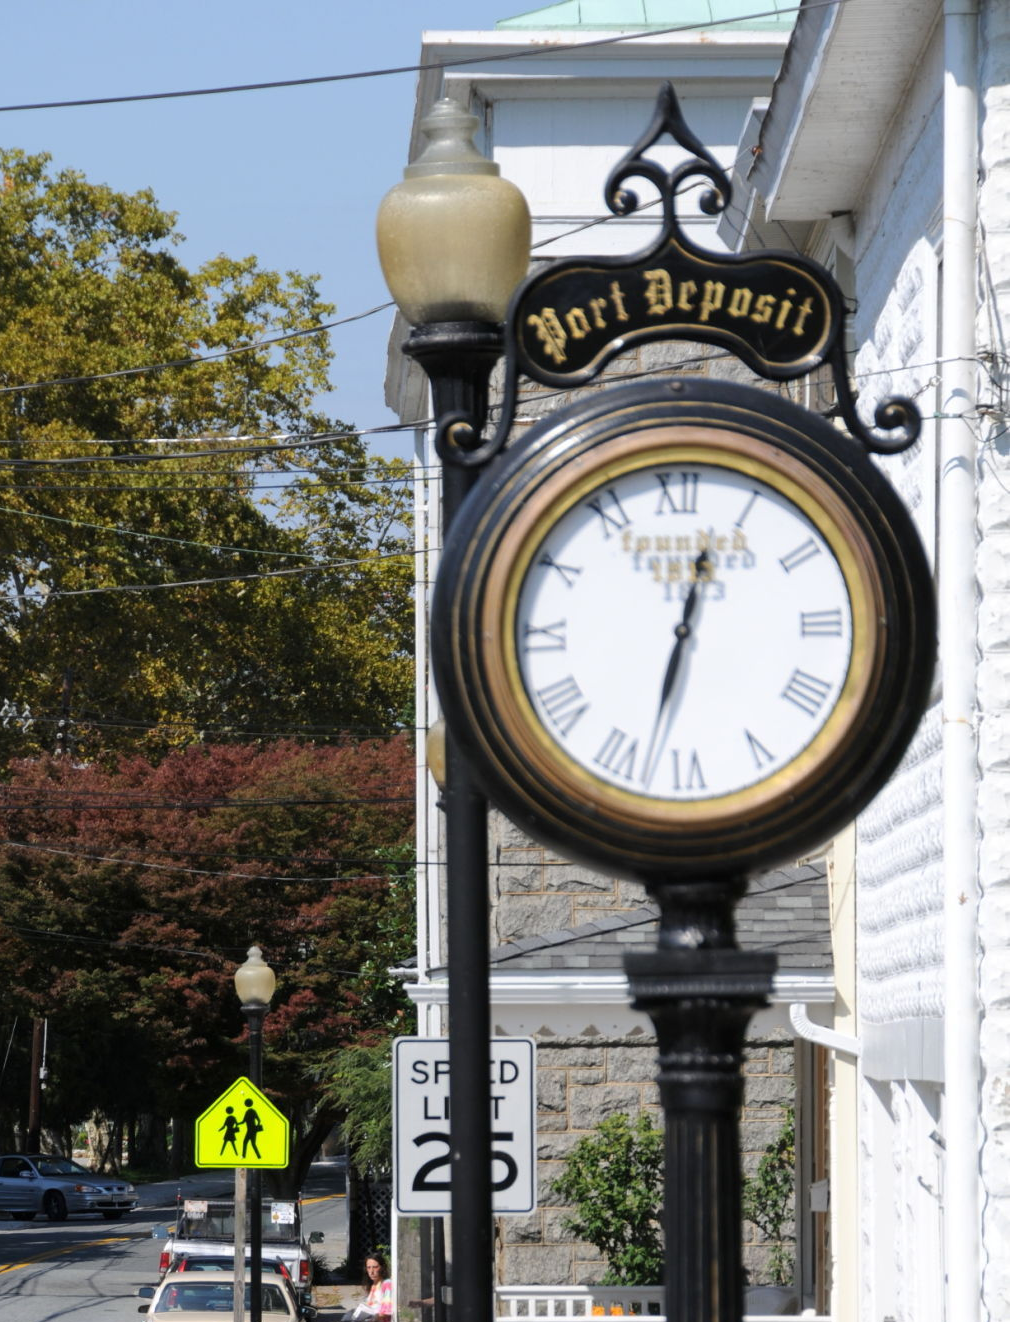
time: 12:32
